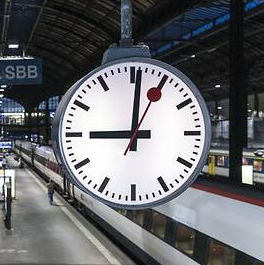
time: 9:01
